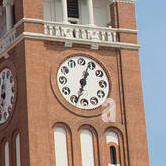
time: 12:33
